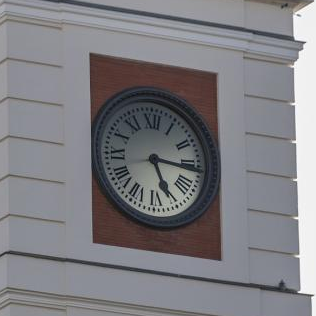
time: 5:15
